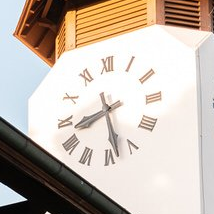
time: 8:28
